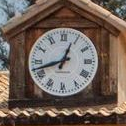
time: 12:42
